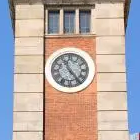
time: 11:23
